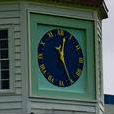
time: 12:26
